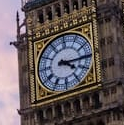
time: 4:15
